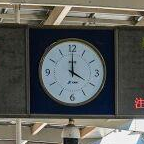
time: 4:00
